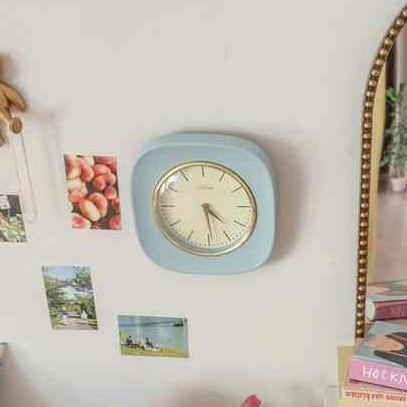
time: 4:29
